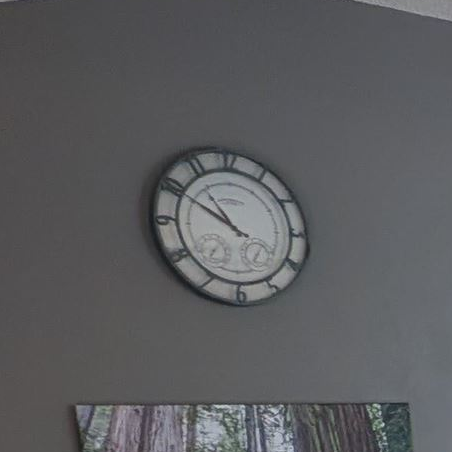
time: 10:50
